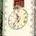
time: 11:35
